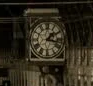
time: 1:16
